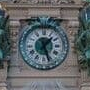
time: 1:26
